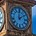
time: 2:00
